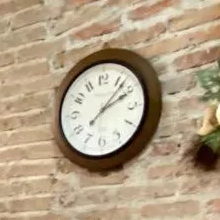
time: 2:07
